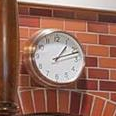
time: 1:11
